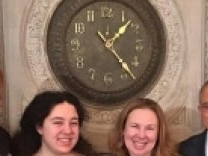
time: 1:23
